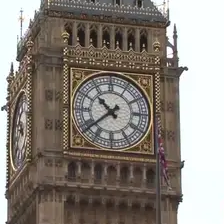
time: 10:38
